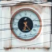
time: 6:23
